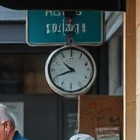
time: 10:41
